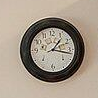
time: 1:16
